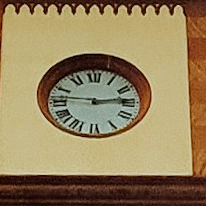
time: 2:46
